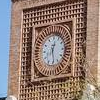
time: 12:28
